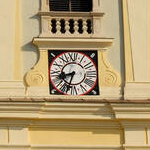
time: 8:33
